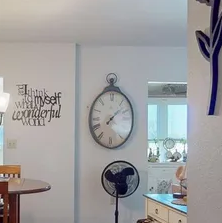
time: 7:07
